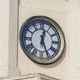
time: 12:26
